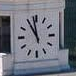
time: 10:58
